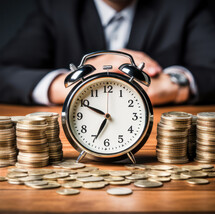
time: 6:49
